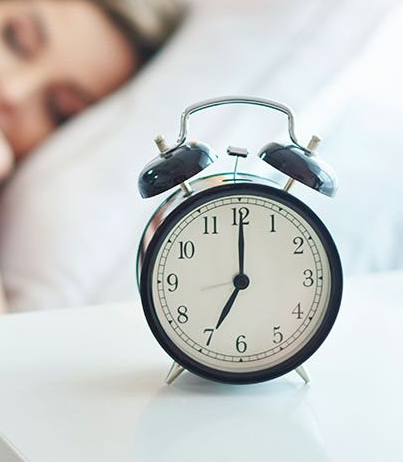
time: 7:00
